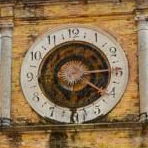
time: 4:14
